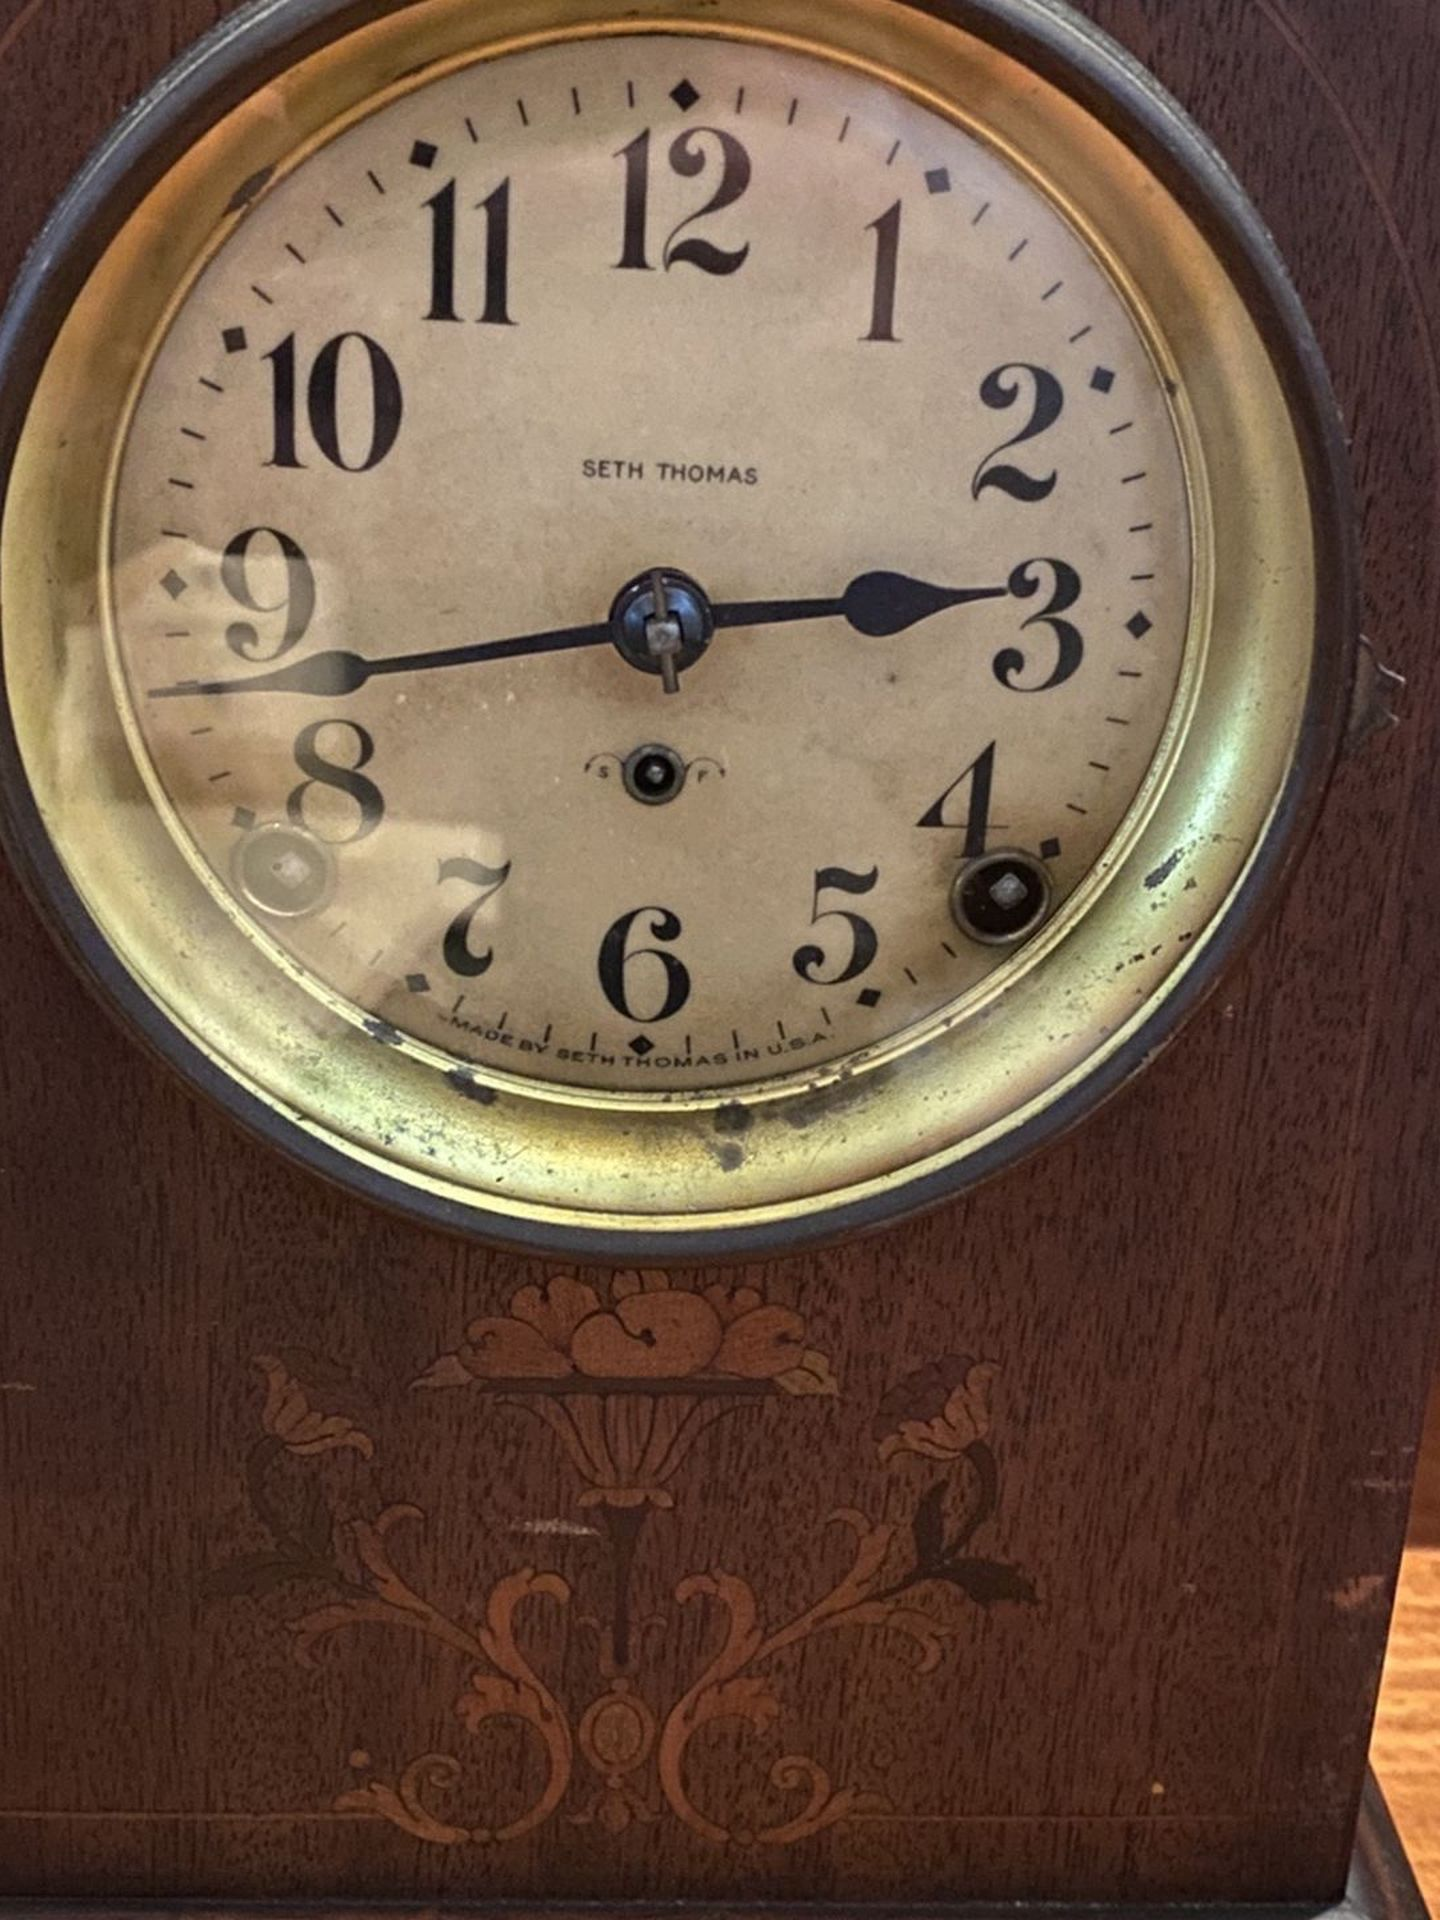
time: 2:42
